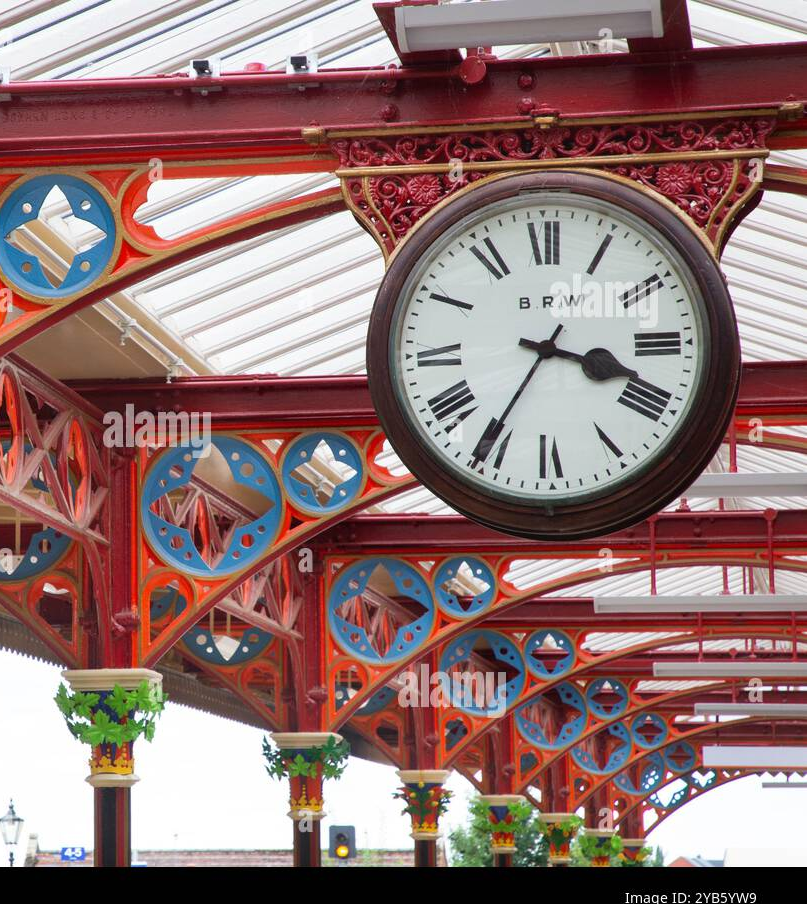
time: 3:35
